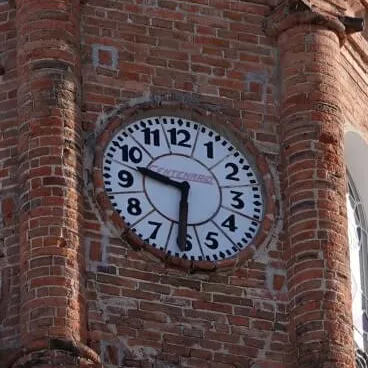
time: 9:31
